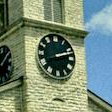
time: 2:11
